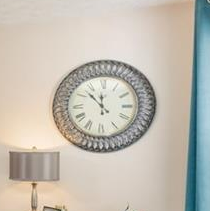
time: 11:52
